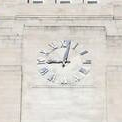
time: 9:01
